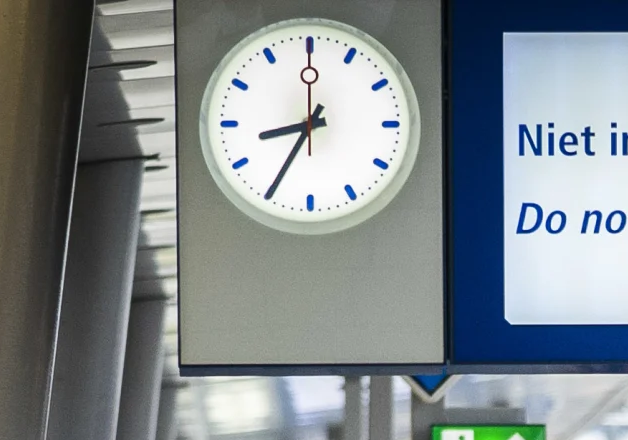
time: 8:34
